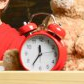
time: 11:35
